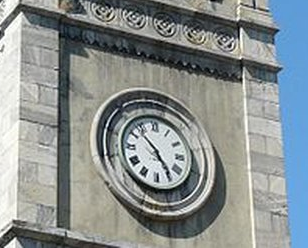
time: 4:53
